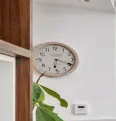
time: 6:18
